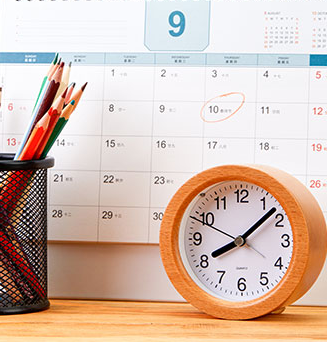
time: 8:07
